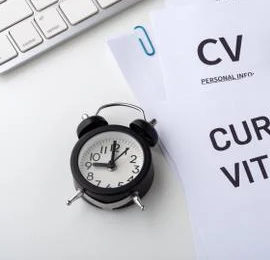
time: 9:00
